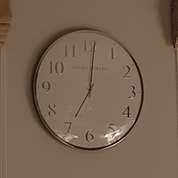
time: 7:00
